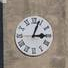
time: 3:03
